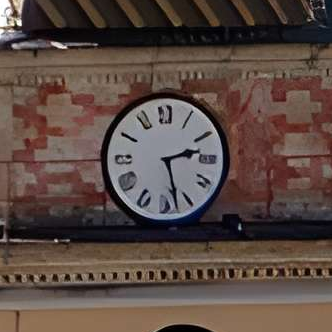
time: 2:27
